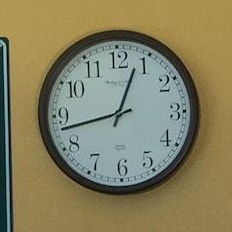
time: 12:42
